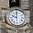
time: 10:00
